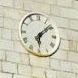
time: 6:08
